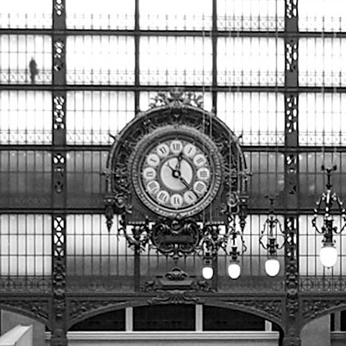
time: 12:23
